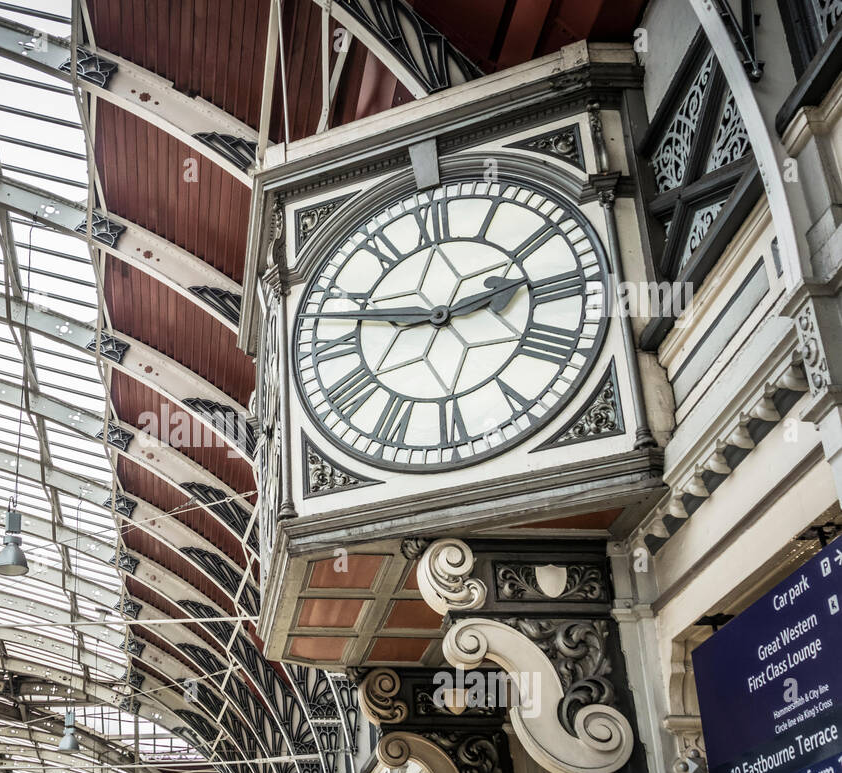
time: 2:47
